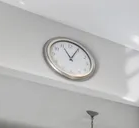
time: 11:04
